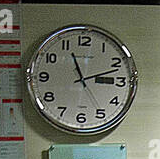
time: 11:12
